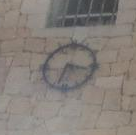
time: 3:33
